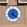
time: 12:21
